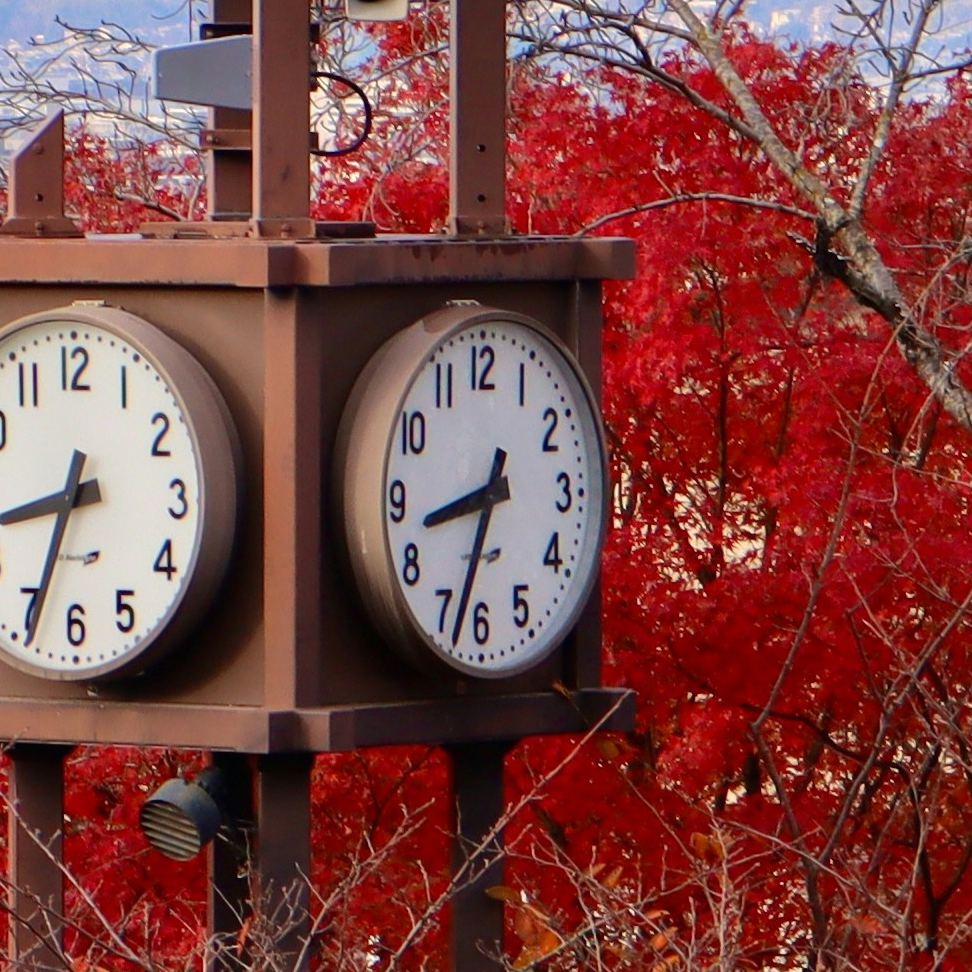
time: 8:33
